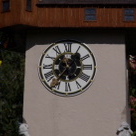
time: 1:36
